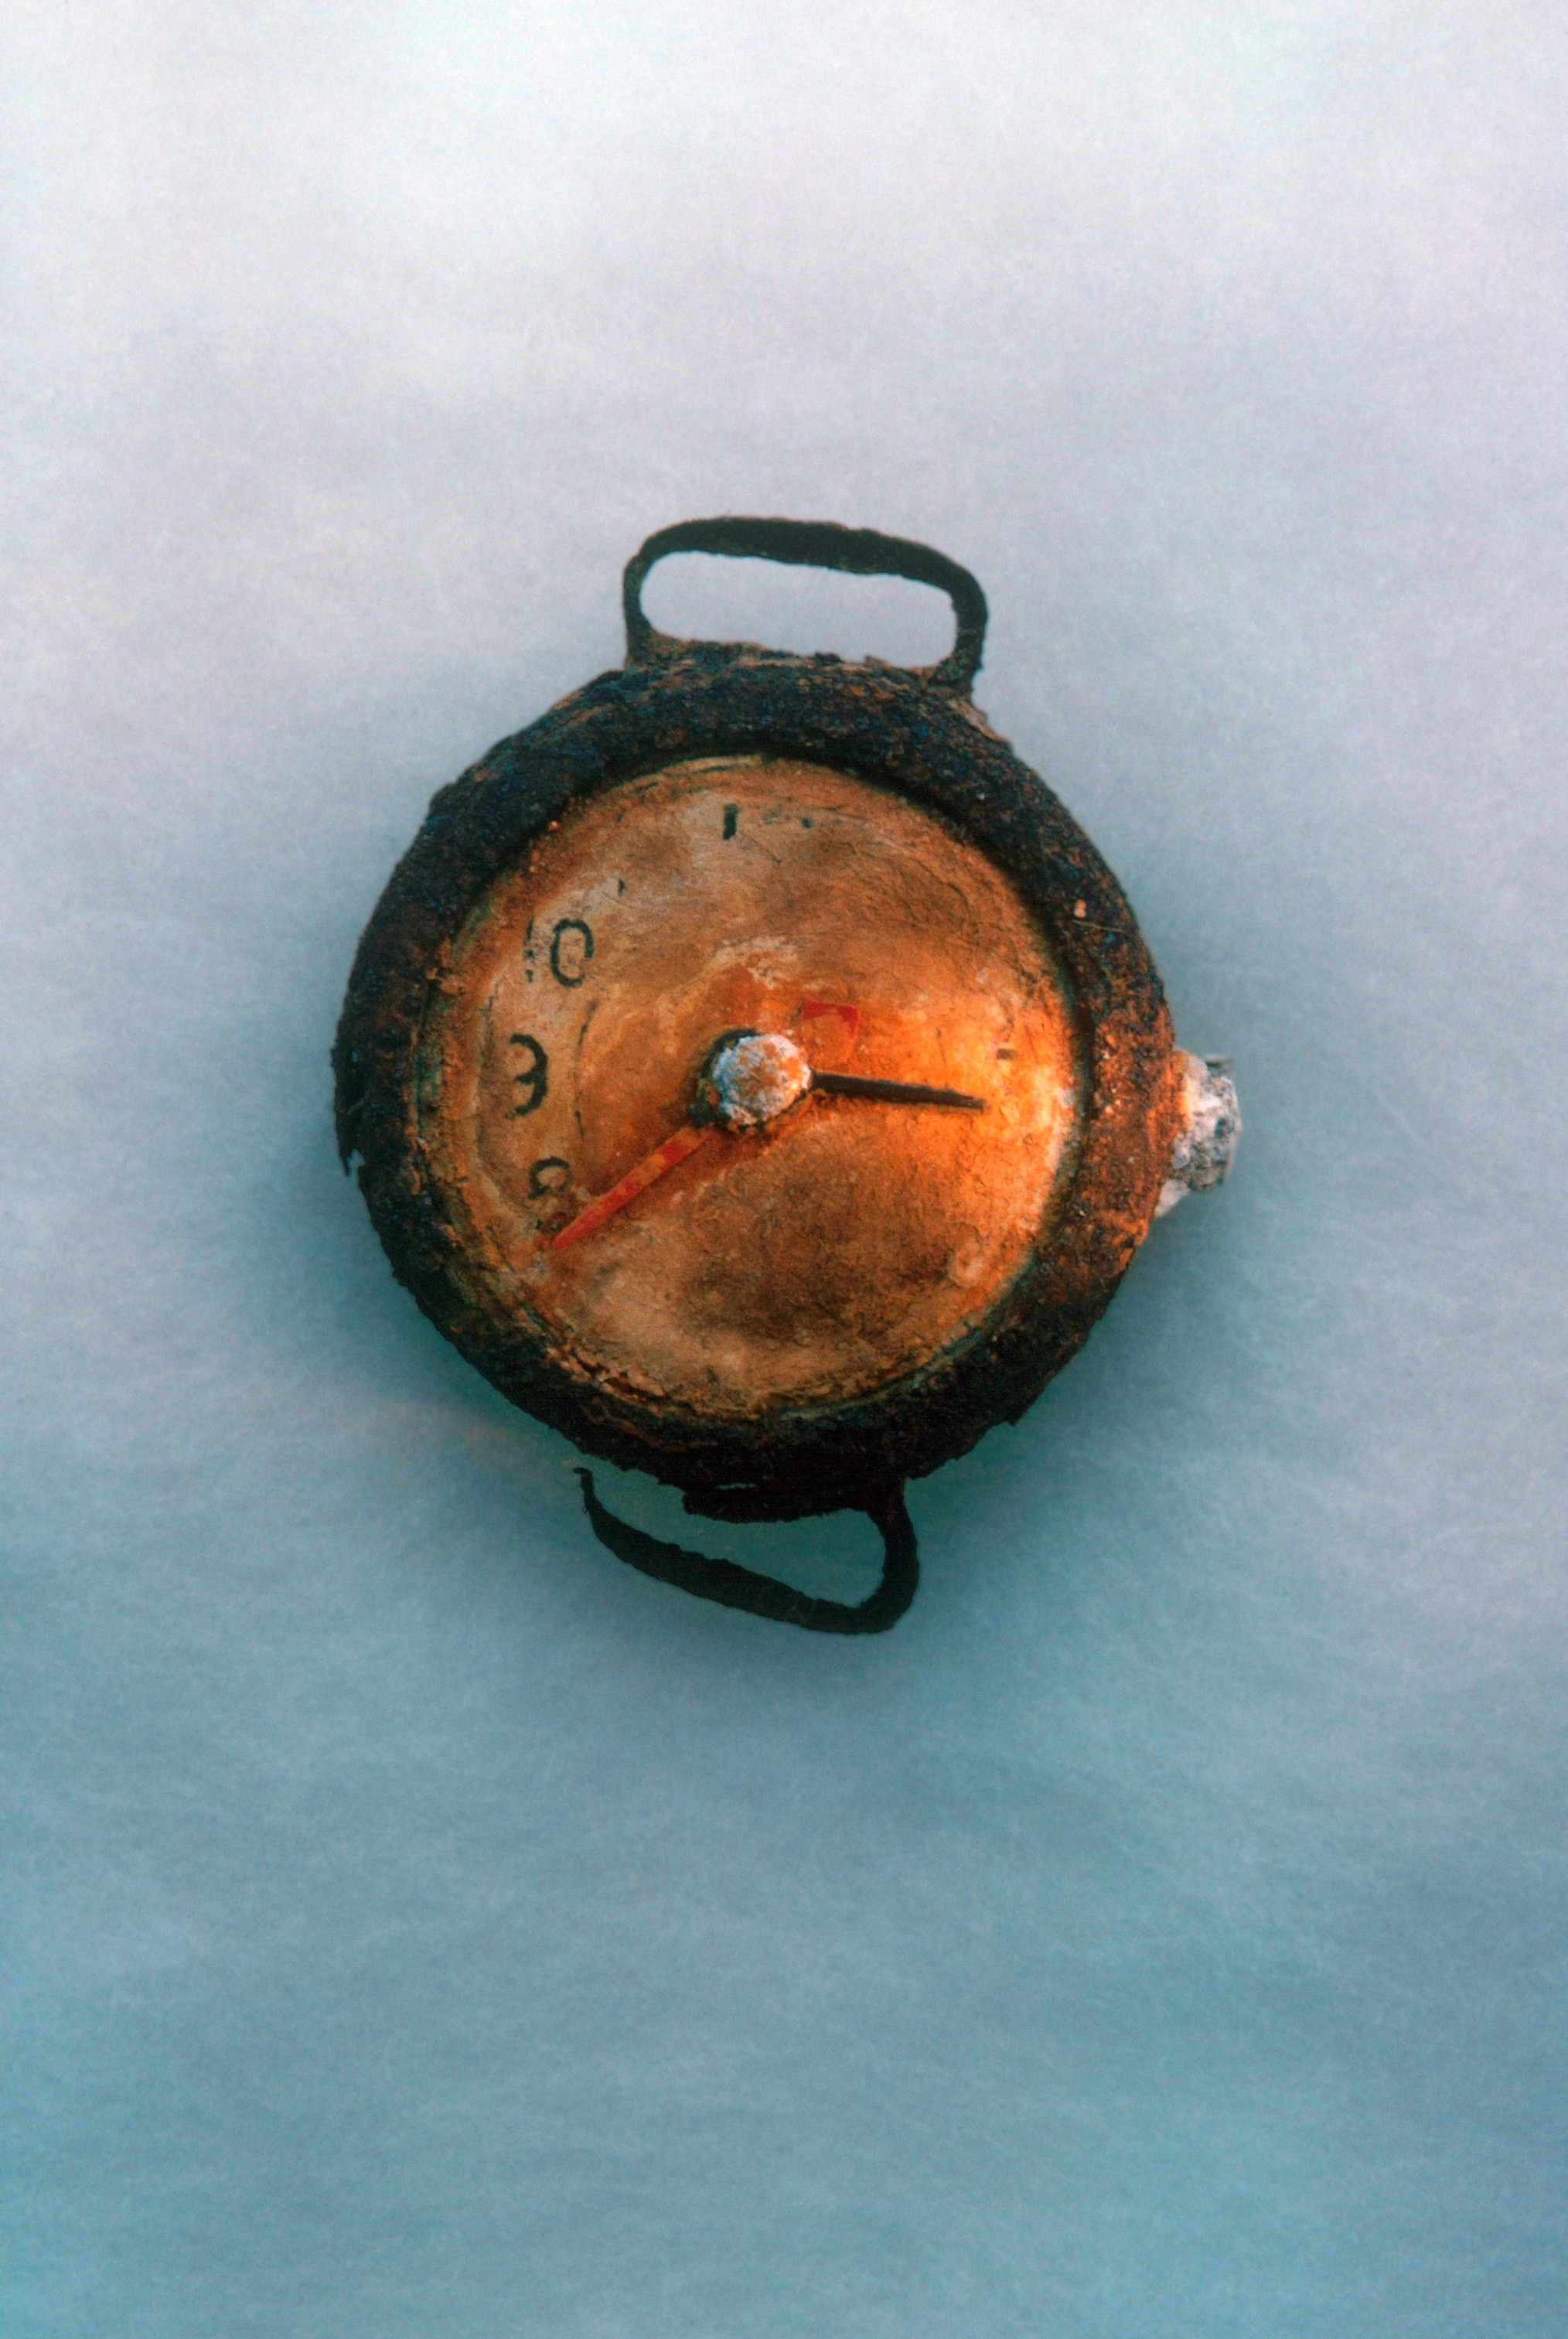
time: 2:38
